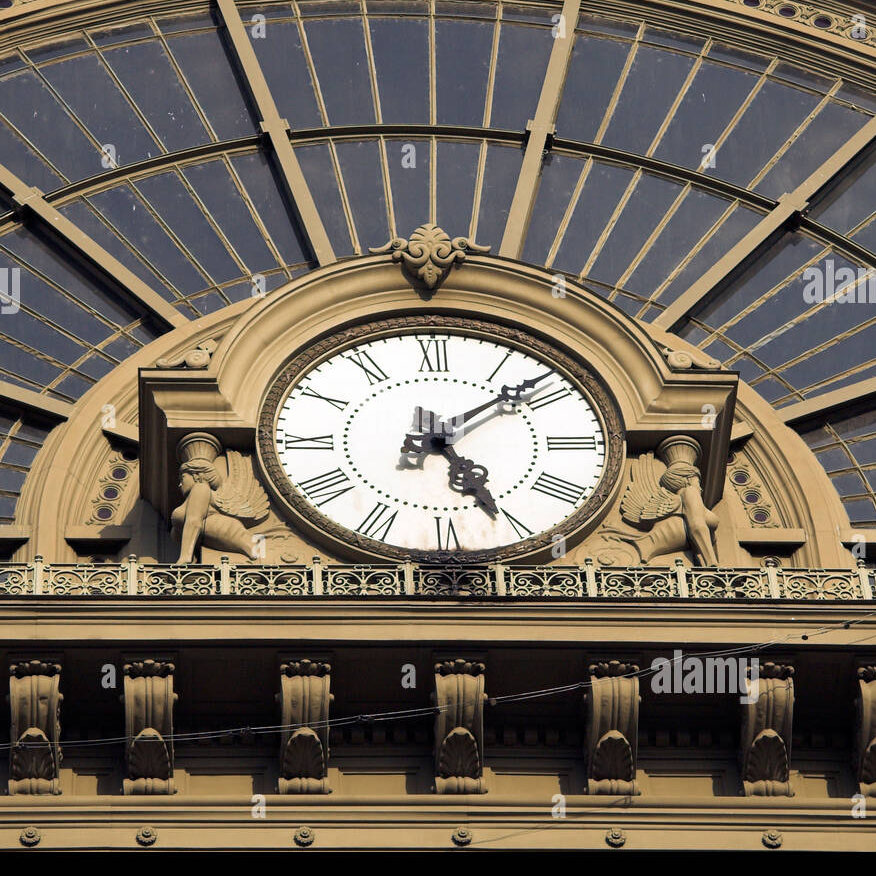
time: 5:08
